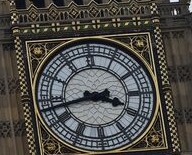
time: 3:42
